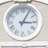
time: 3:04
